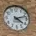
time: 4:12
